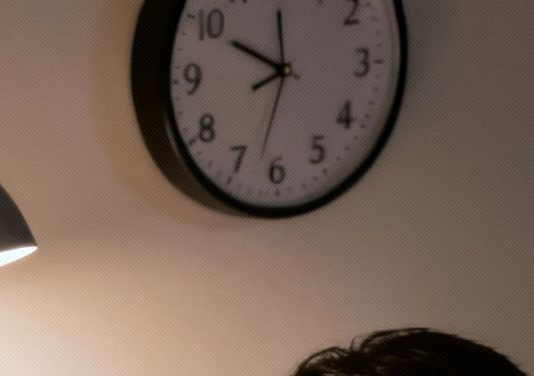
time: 11:49
